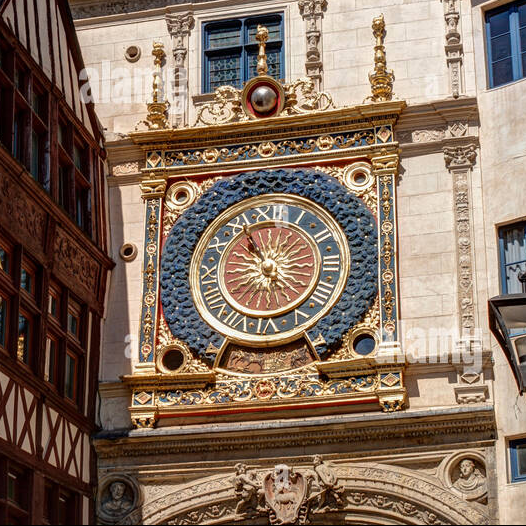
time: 8:54
